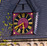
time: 5:40
